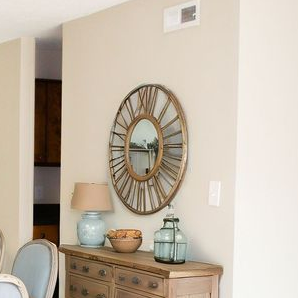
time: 9:12
